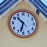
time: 10:32
